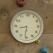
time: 8:31
